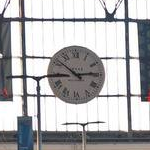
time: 2:51
